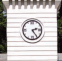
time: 2:24
